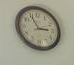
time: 2:55
